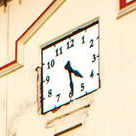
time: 4:29
